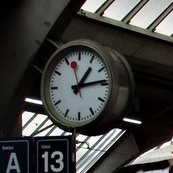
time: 1:13
